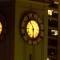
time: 5:55
